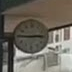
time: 2:45
